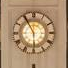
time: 5:55
